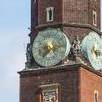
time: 7:12
